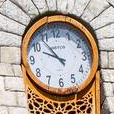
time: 9:53
